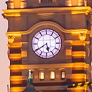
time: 5:39
